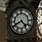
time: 4:40
